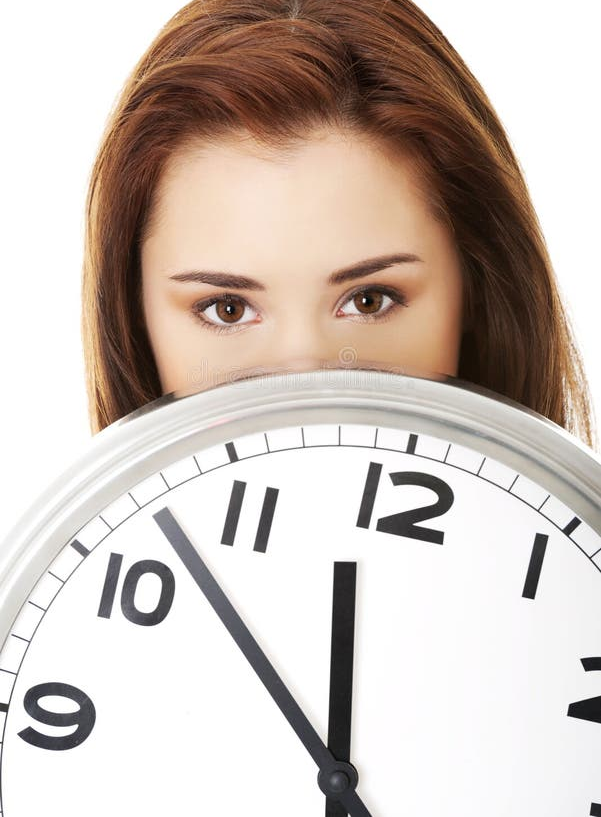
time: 11:52
